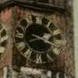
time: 2:18
